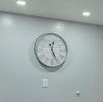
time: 12:26
